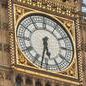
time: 5:32
